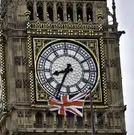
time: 8:34
